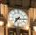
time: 7:15
